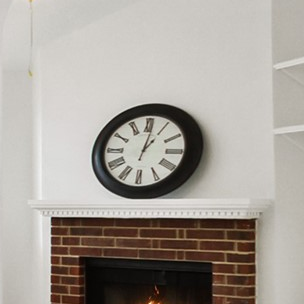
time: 1:01
